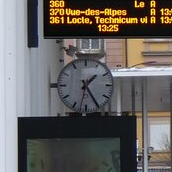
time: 1:24
